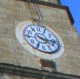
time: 4:16
